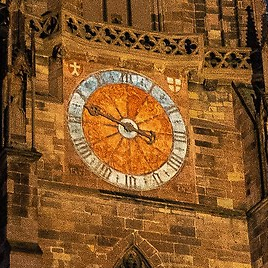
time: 3:48
